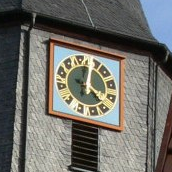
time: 4:01
